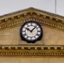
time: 10:07
